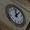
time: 12:07
